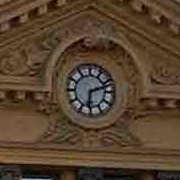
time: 6:12
